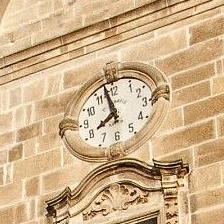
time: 7:57
